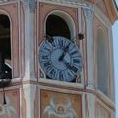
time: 4:04
